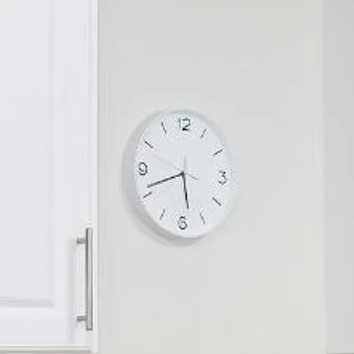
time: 5:41
